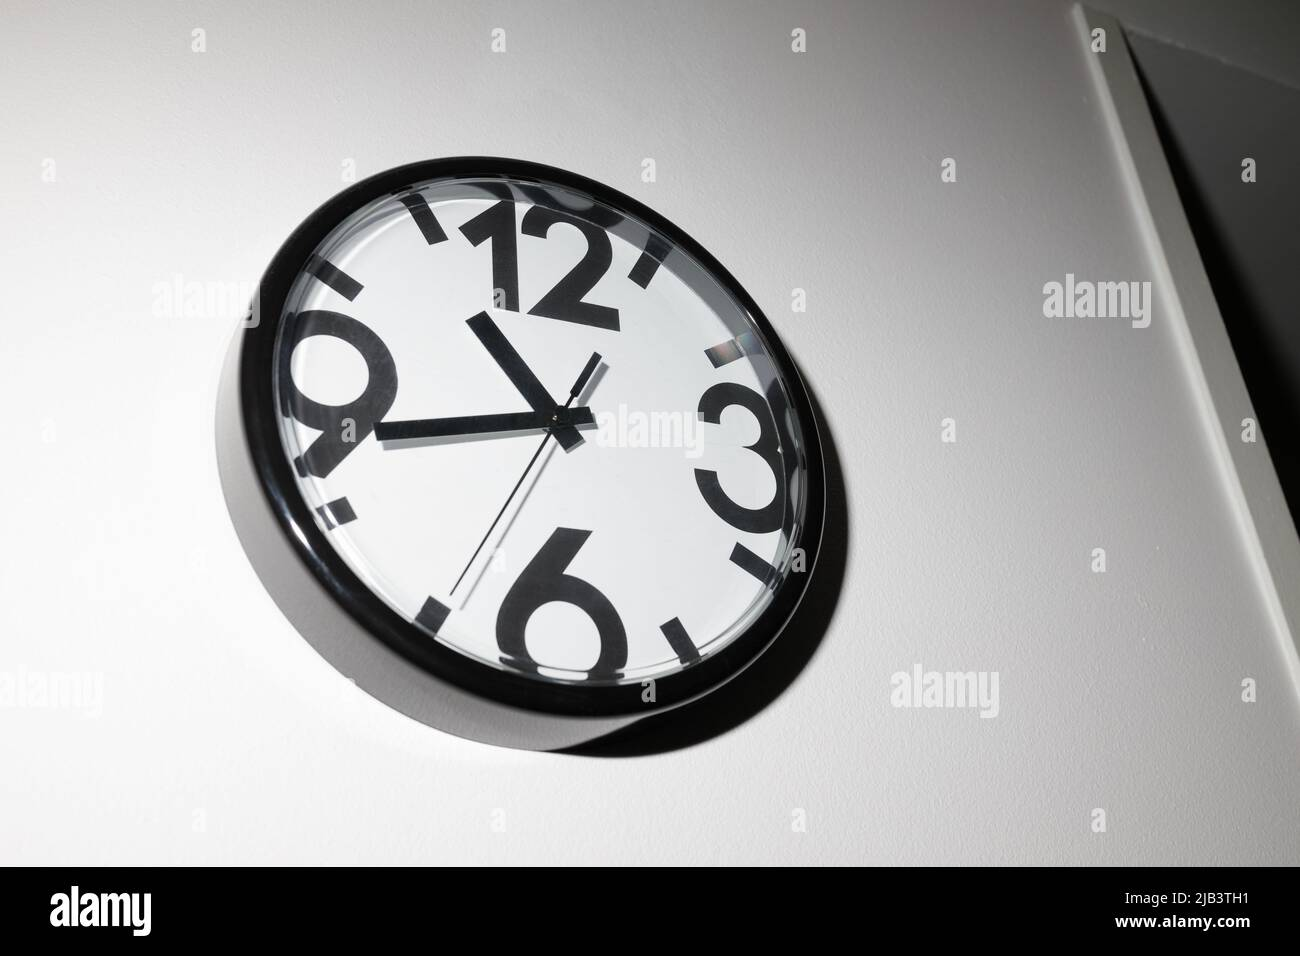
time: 10:42
